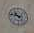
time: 10:47
